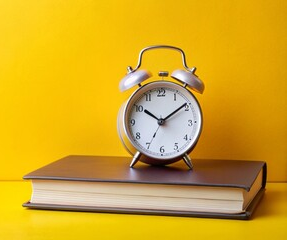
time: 10:09
